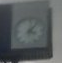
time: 4:06
